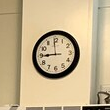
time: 8:59
